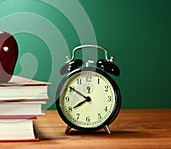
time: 7:50
